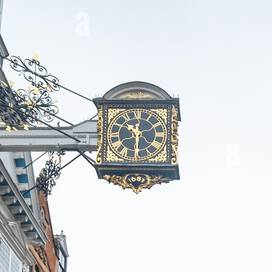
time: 10:30
